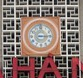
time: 3:14
